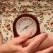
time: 8:11
